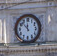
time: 11:52
